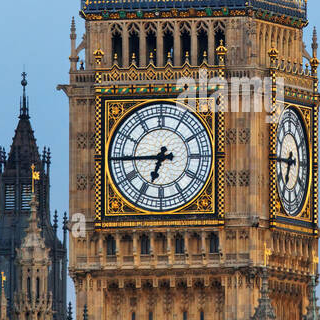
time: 6:44
